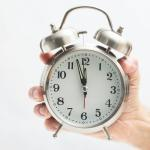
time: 11:57
